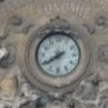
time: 7:39
